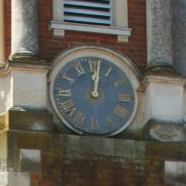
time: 12:01
